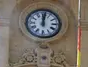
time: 12:01
